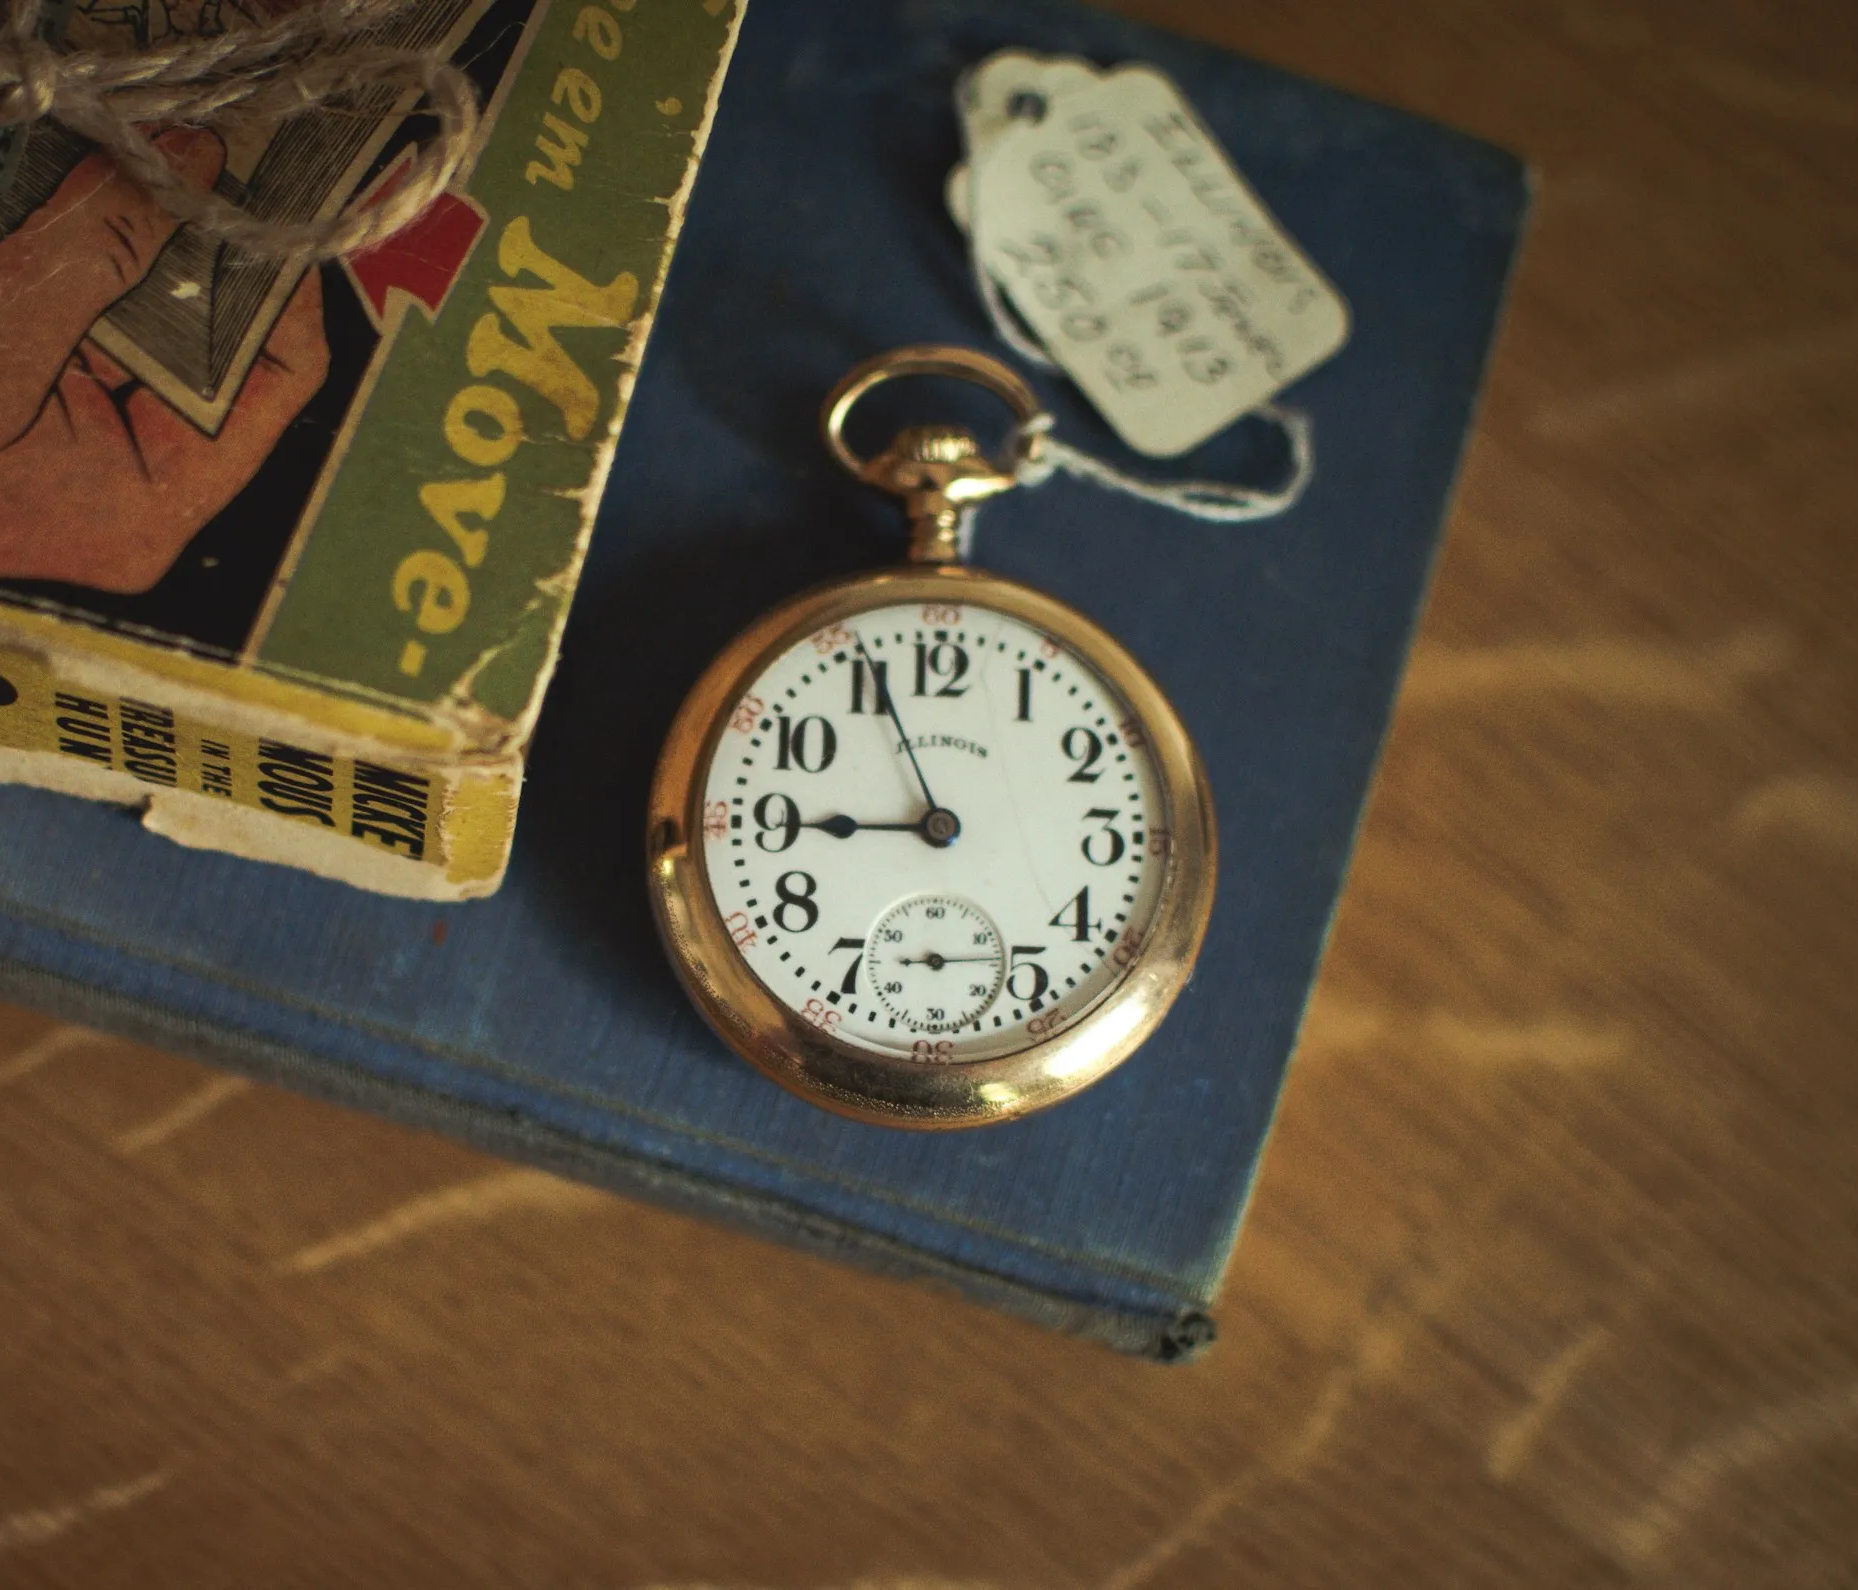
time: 8:56
